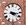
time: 4:16
